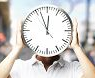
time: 11:56
